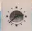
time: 2:38
